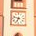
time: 6:47
